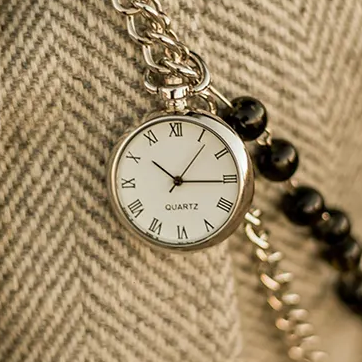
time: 10:15
